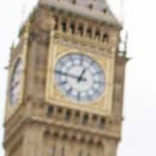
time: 12:46
